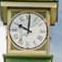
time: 10:00
